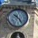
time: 10:24
